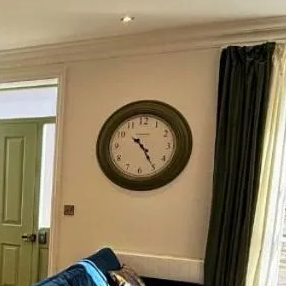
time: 10:24
